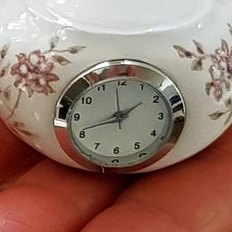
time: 1:41
